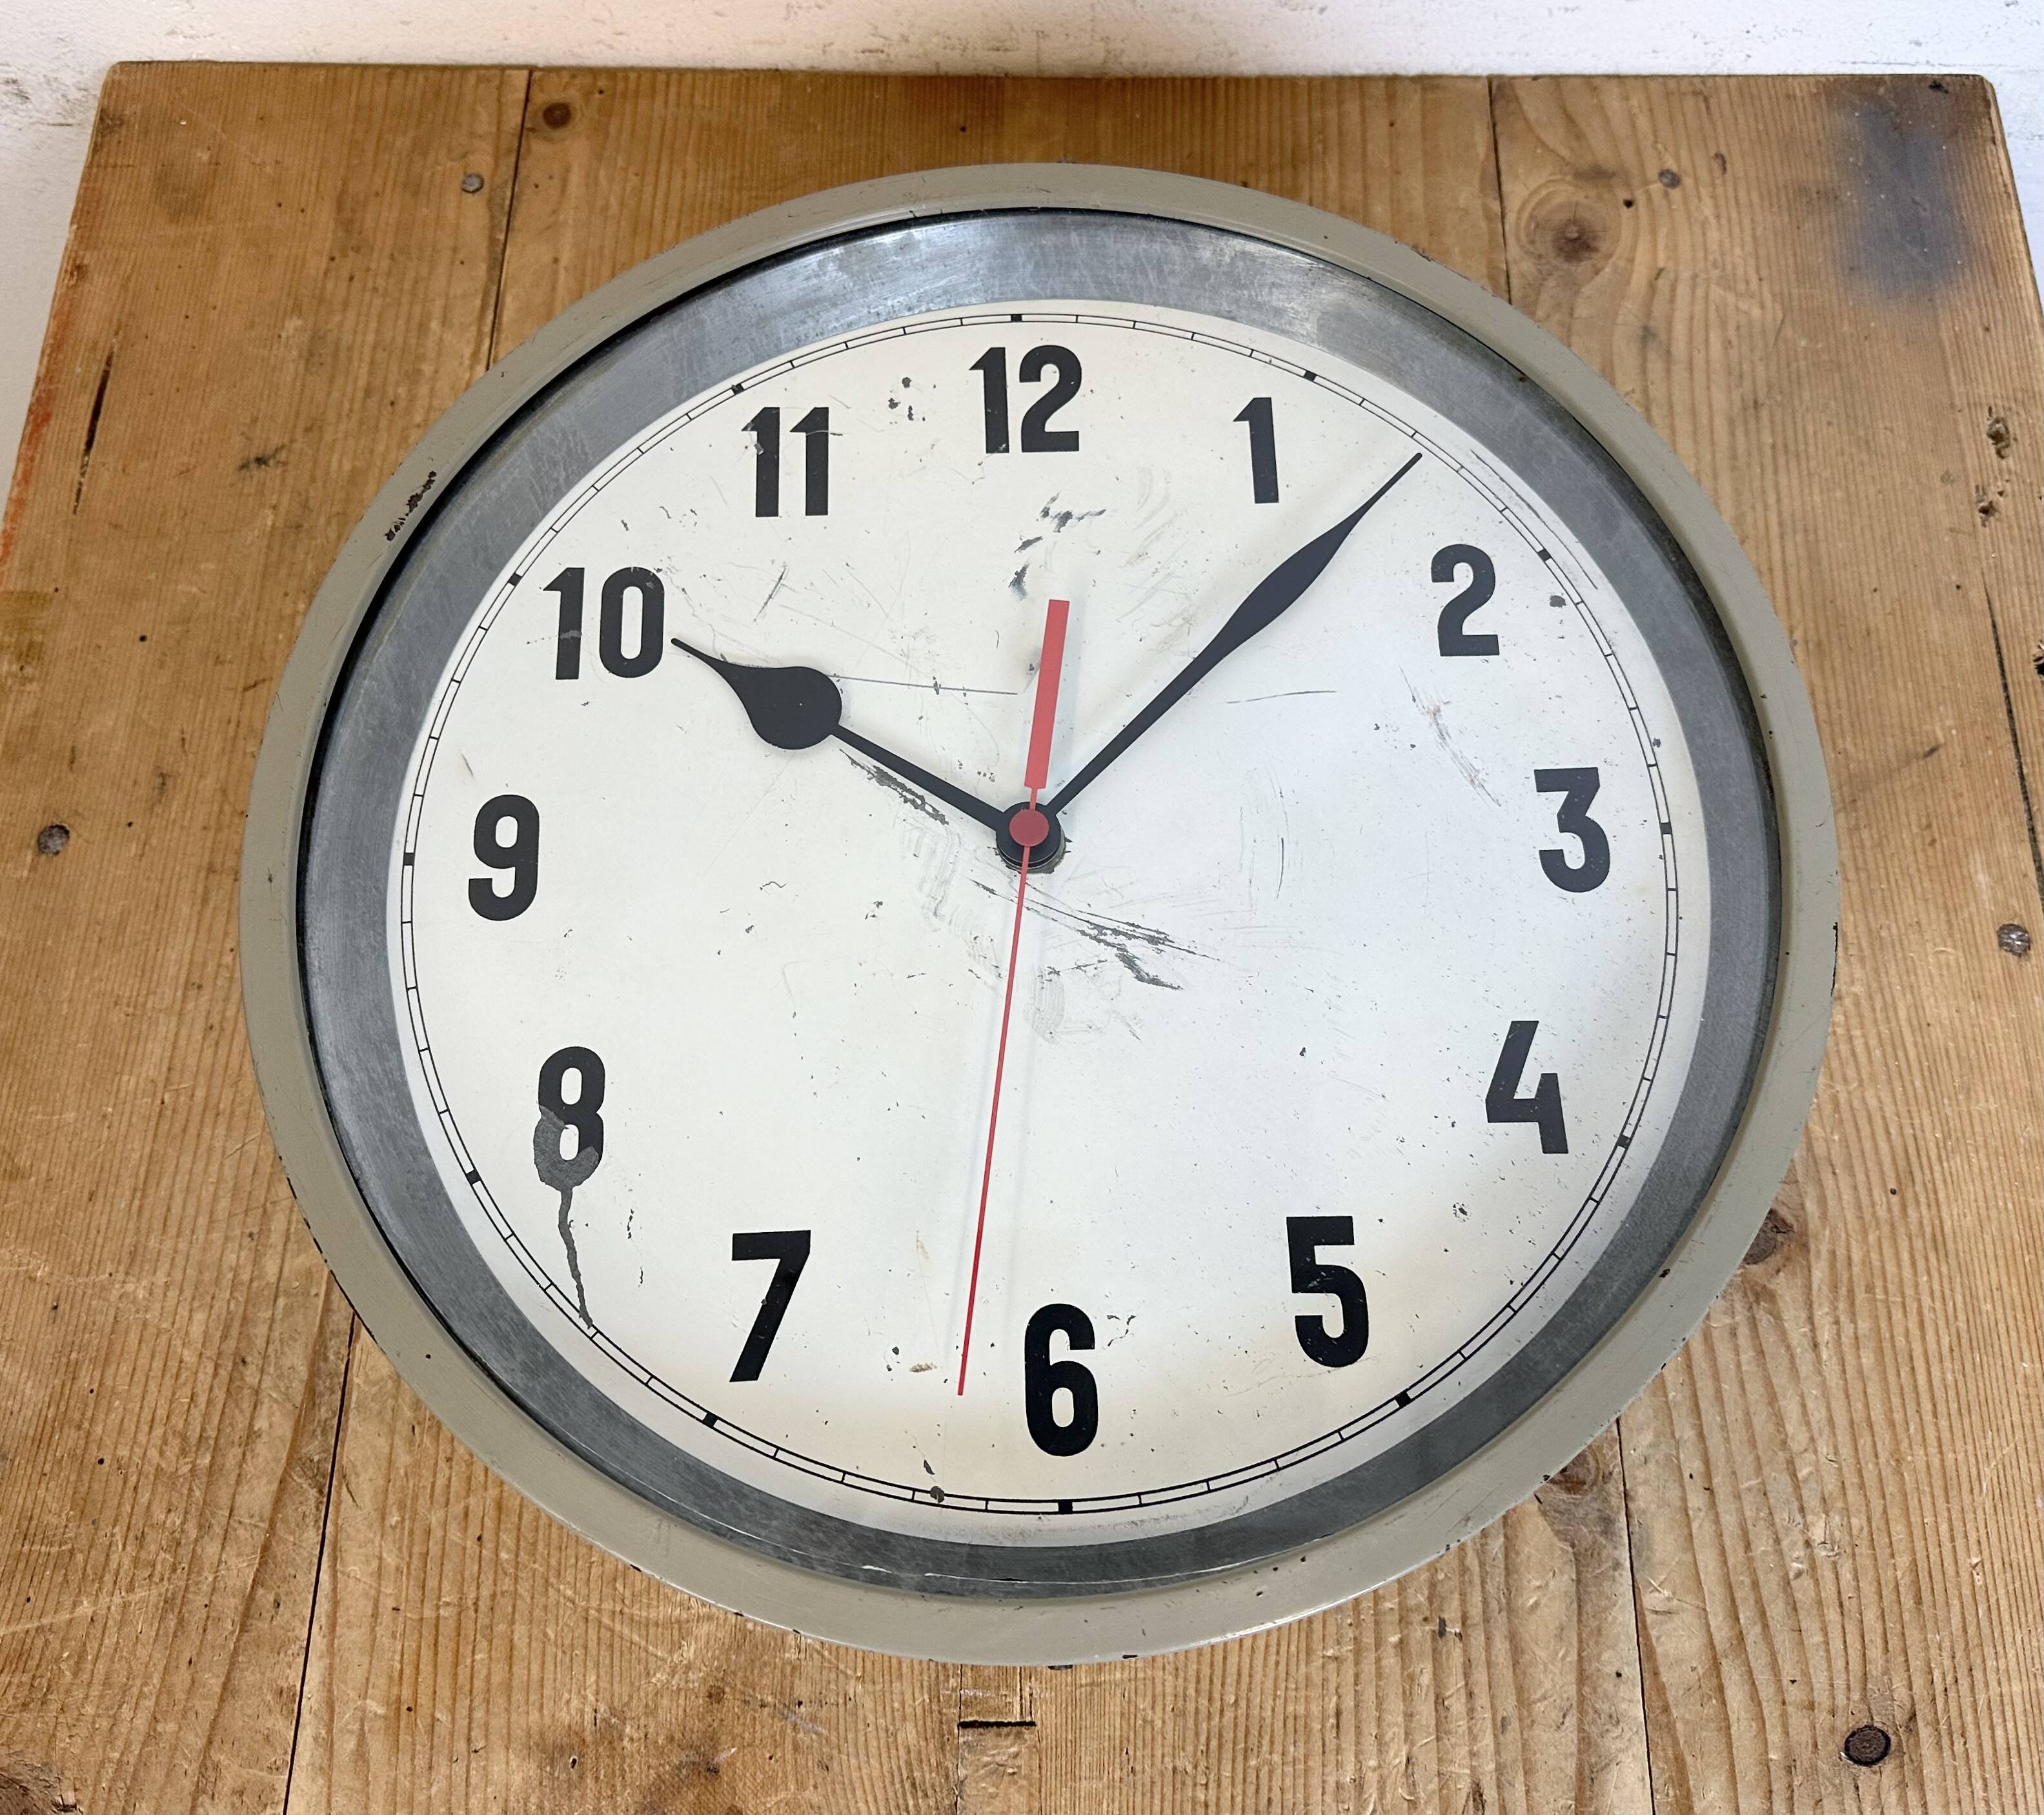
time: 10:07
